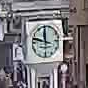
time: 11:48
